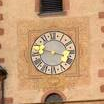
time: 3:47
